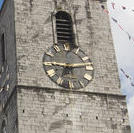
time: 9:12
